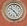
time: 10:23
